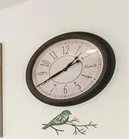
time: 1:40
